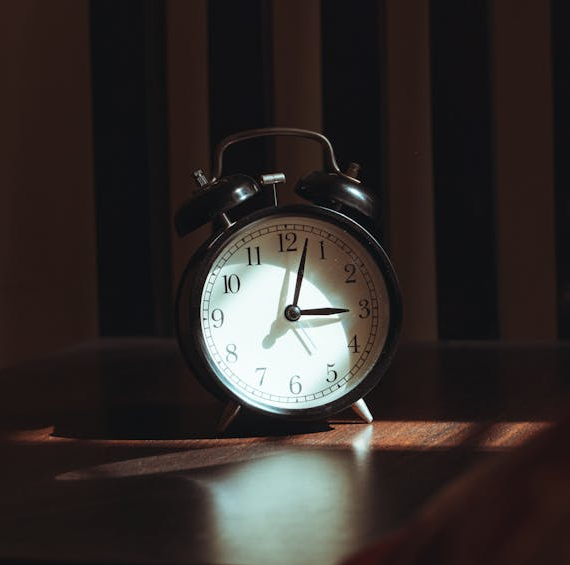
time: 3:02
